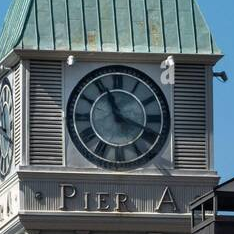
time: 11:18
